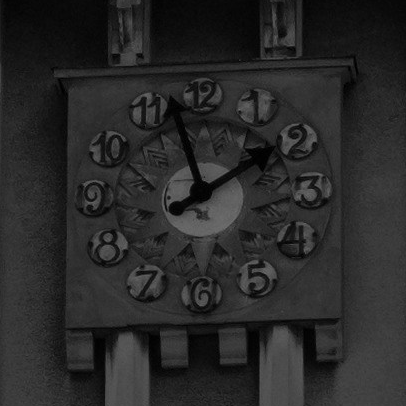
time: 1:57
